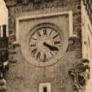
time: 4:18
